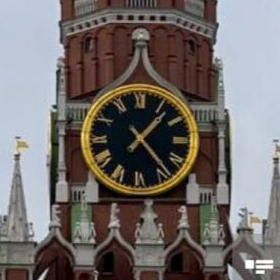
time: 1:23
